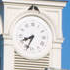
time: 7:33
